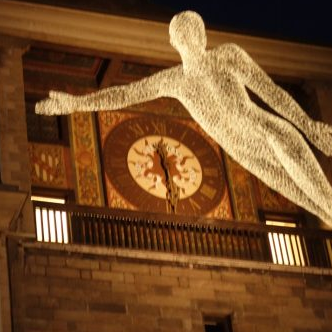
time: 11:28
